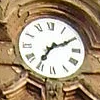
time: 7:10
